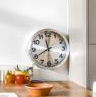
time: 11:40
